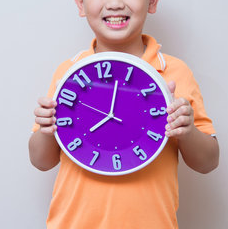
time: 8:02
